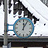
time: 12:05
